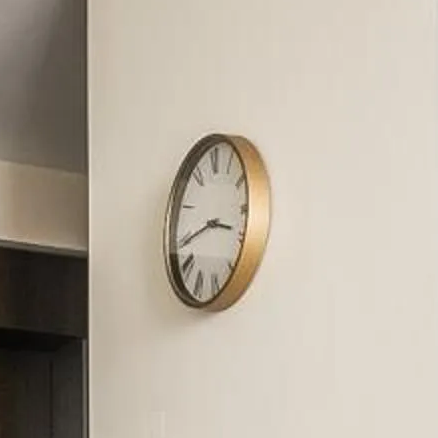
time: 3:43
